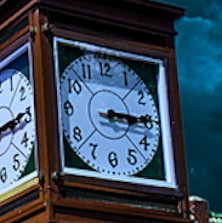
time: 3:14
